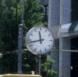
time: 11:42
